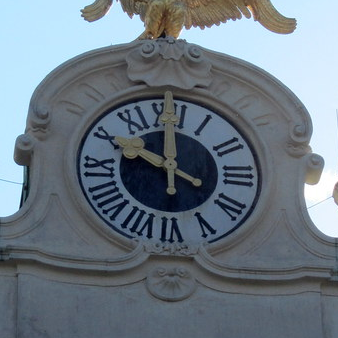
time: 10:00
